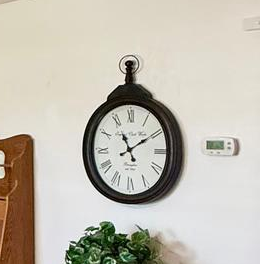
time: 11:09
